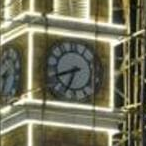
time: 6:41
